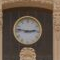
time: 2:46
